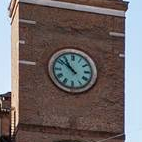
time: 10:51
